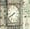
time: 7:40
